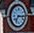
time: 7:15
